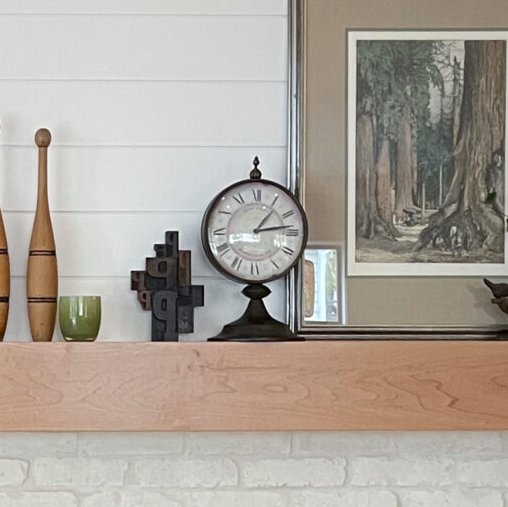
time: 1:13
